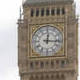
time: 12:16
